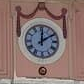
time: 12:09
